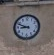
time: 8:48
